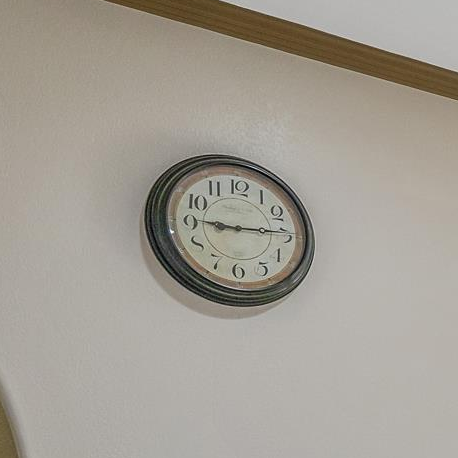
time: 9:14
